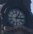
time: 1:16
